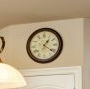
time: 1:21
